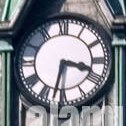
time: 3:32
